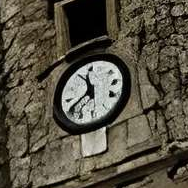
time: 11:40
